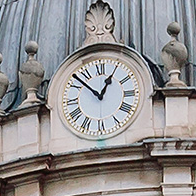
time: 12:52
